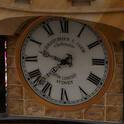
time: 9:37
